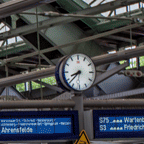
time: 8:37
